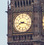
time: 8:18
